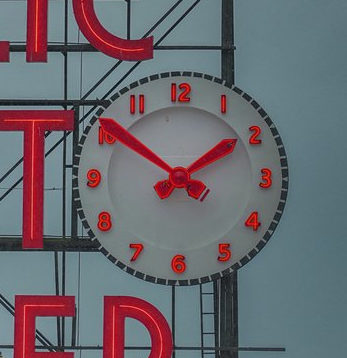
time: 1:50
